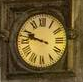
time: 9:47
